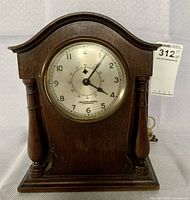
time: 4:06
